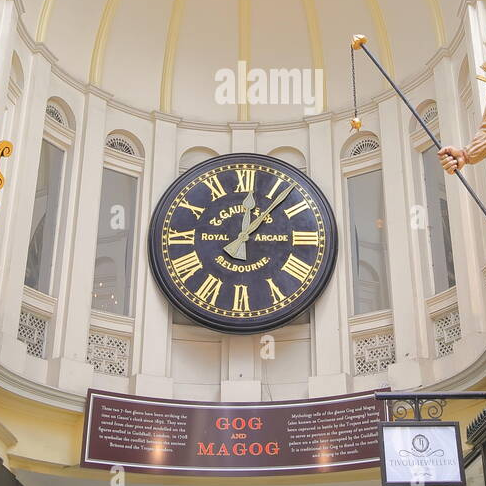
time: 12:07
